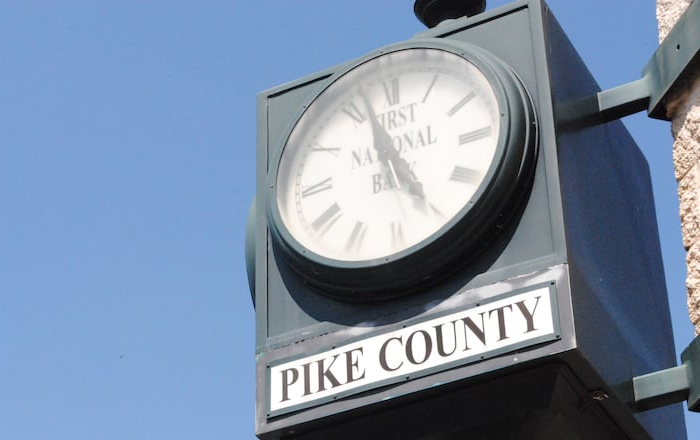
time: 4:57
